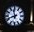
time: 11:41
